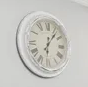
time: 6:06
